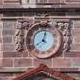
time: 8:02
